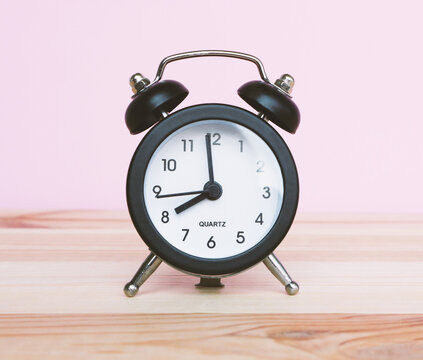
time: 7:59
